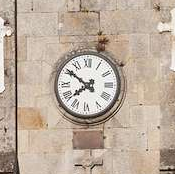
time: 7:50
